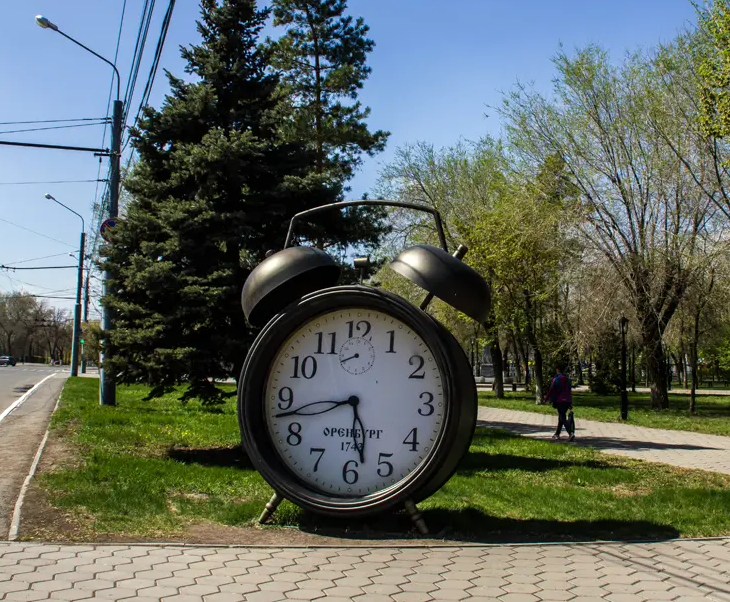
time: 5:42
